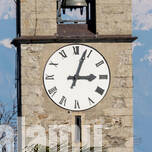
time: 3:03
